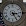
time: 3:25
